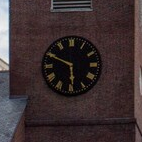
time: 5:49
